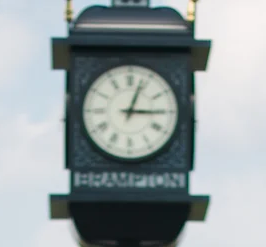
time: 3:03
